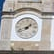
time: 1:41
